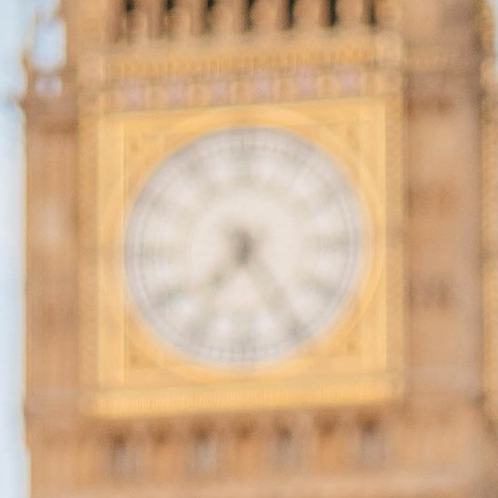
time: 7:24
